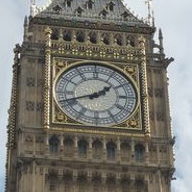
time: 1:42
